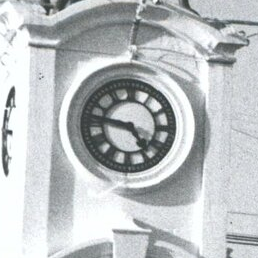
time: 4:46
